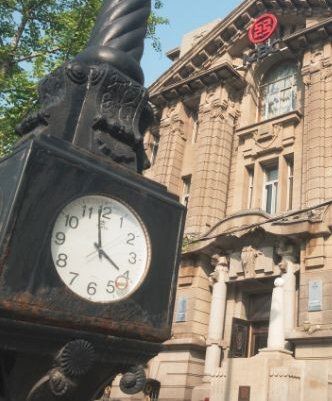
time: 3:58
